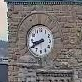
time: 8:40
